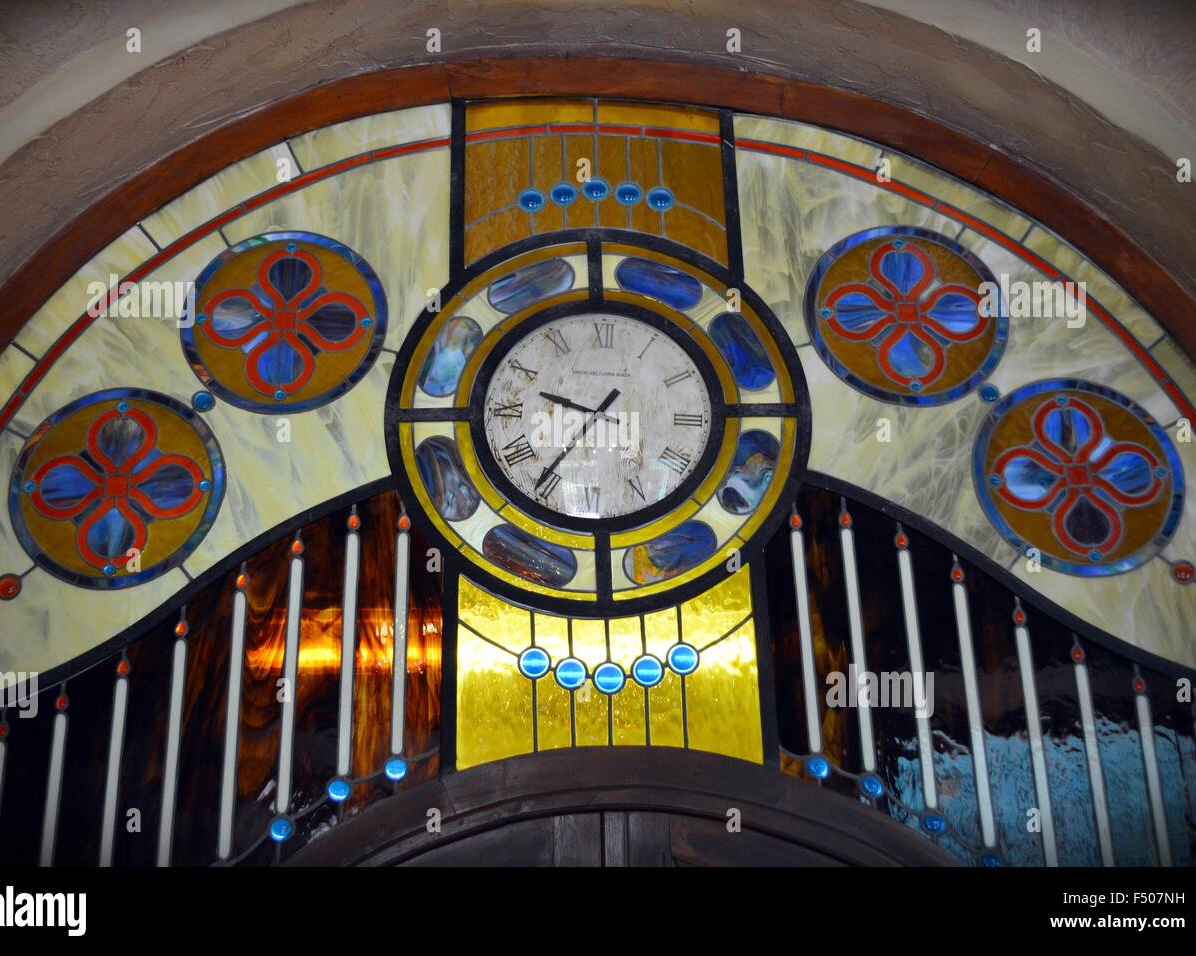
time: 9:35
